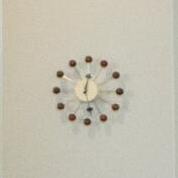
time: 12:28
